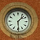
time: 1:29
